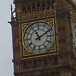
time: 11:10
